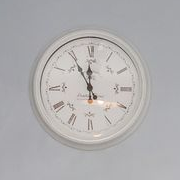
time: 11:54
